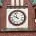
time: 9:57
